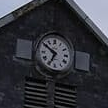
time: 6:50
